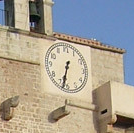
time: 6:32
